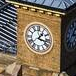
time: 1:16
